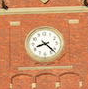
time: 8:22
